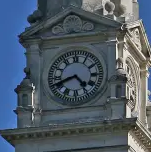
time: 4:41
